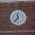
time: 11:36
